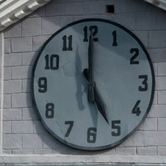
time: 5:00
